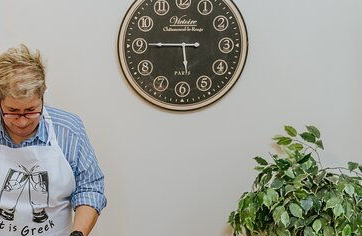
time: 5:45
